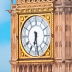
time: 6:28
